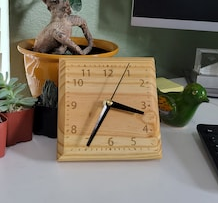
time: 3:35
